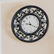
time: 9:20
